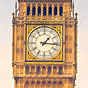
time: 1:16
